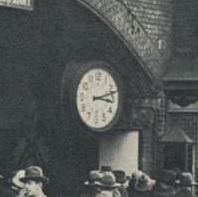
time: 3:12
